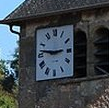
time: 2:46
